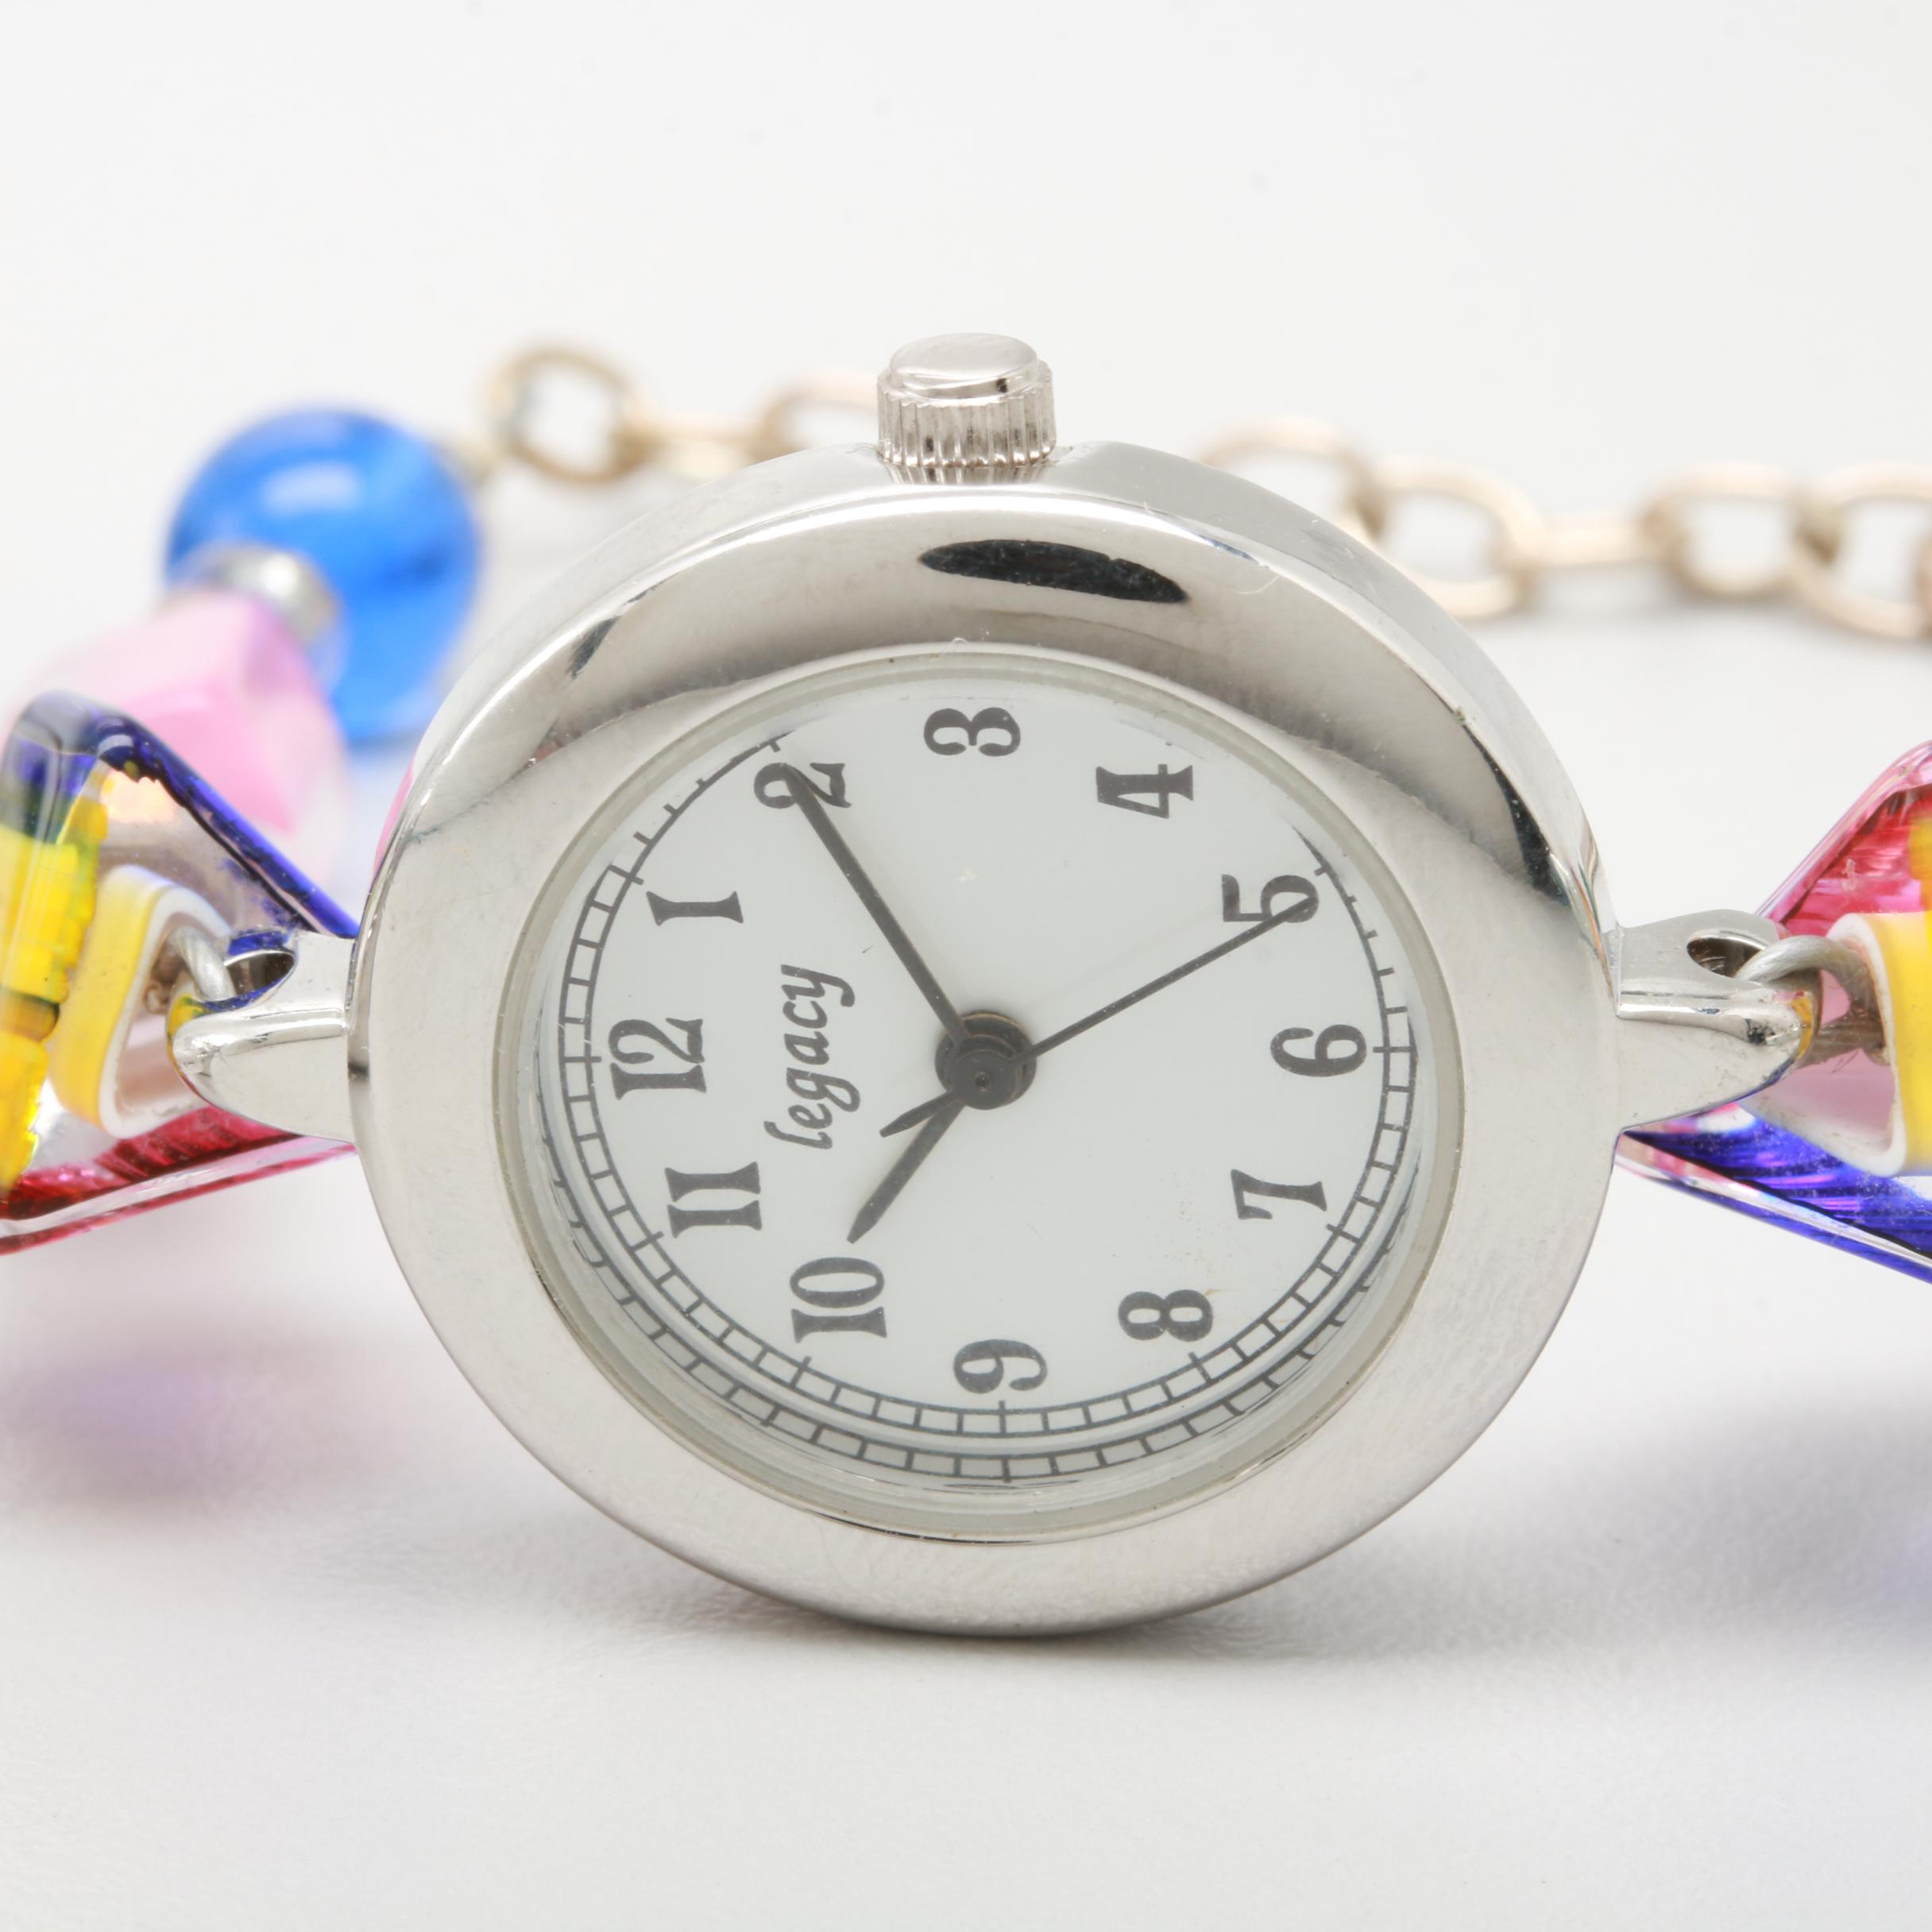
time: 6:55
